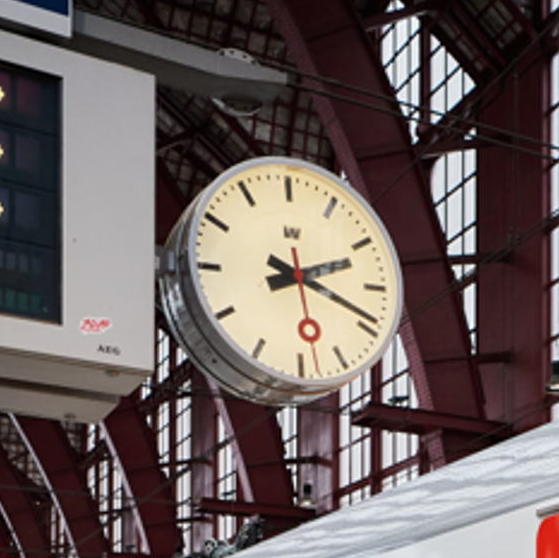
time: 2:18
